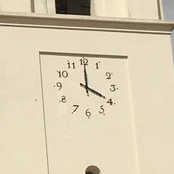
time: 4:00
